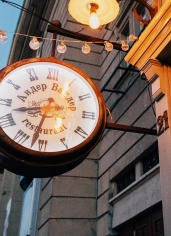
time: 8:32
